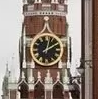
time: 2:02
